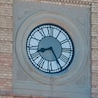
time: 8:24
